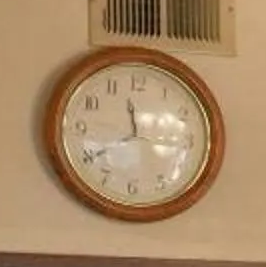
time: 11:40
